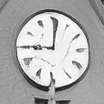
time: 9:00
